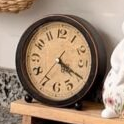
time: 4:19
